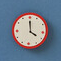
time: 3:59
